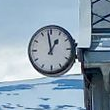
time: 12:58
